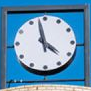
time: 3:57
